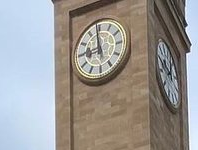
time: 8:58
